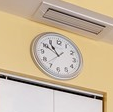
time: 10:49
